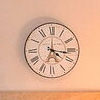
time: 4:16
